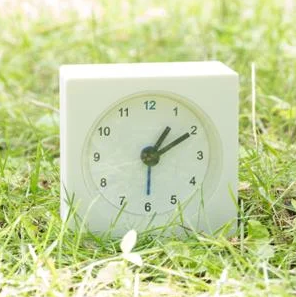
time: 1:10
